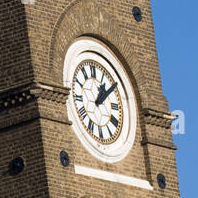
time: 1:09
